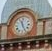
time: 11:25
